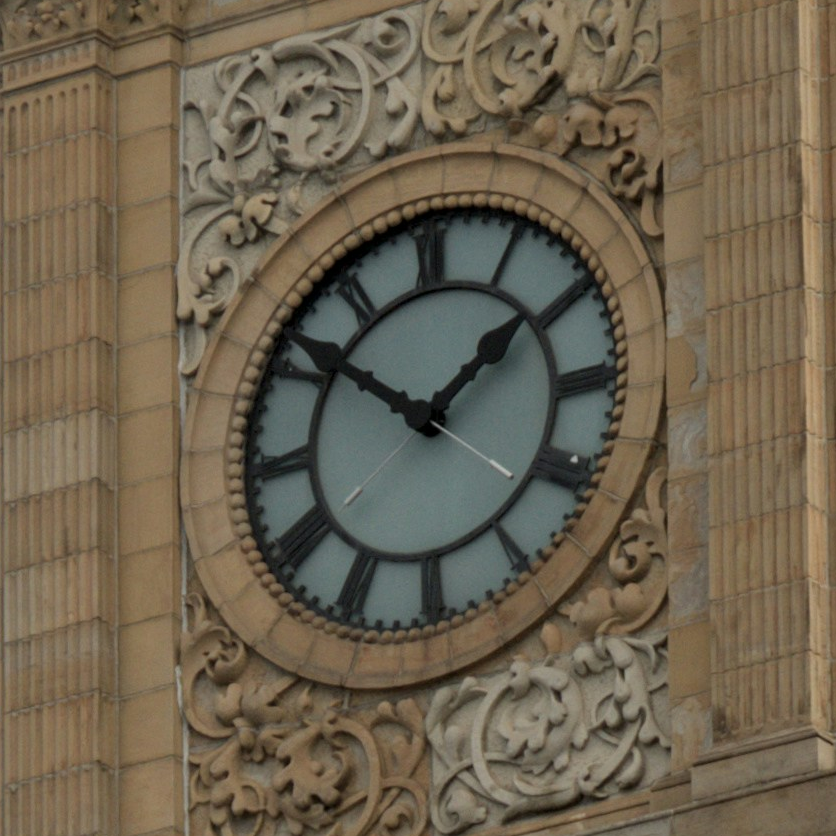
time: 1:51
